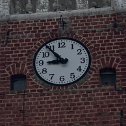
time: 8:53
